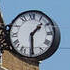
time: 1:29
